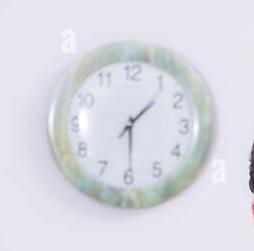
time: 1:29
